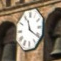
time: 11:20
